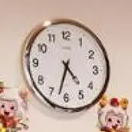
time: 4:32
